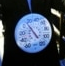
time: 4:52
